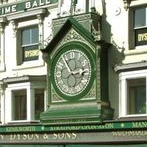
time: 2:54
